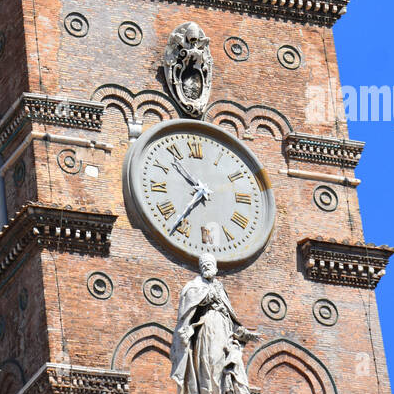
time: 10:36
